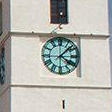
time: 4:07
